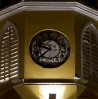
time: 9:37
